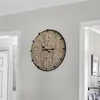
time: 10:14
